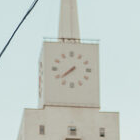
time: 7:38
